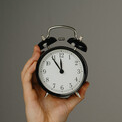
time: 11:53
